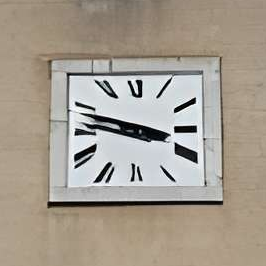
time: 3:47
